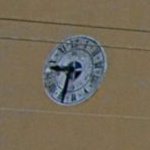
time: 9:33
